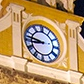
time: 8:46
